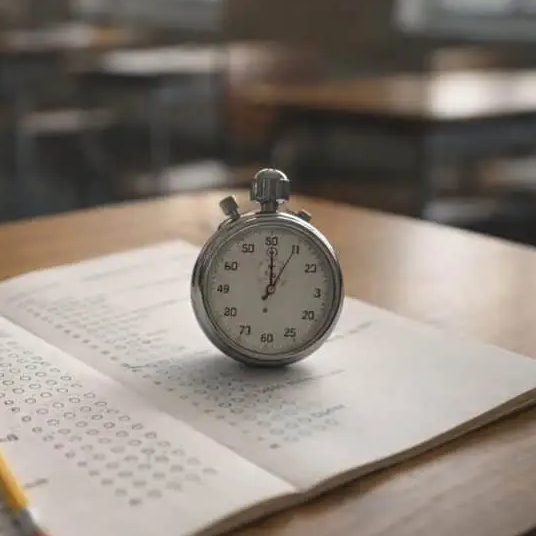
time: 1:00
